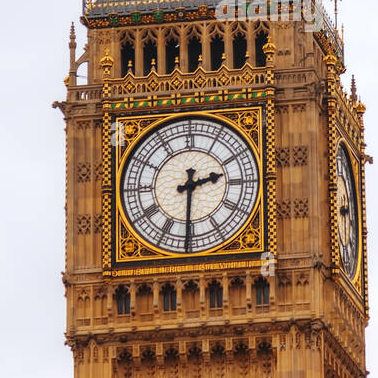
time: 2:30
